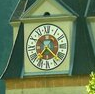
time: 7:22
